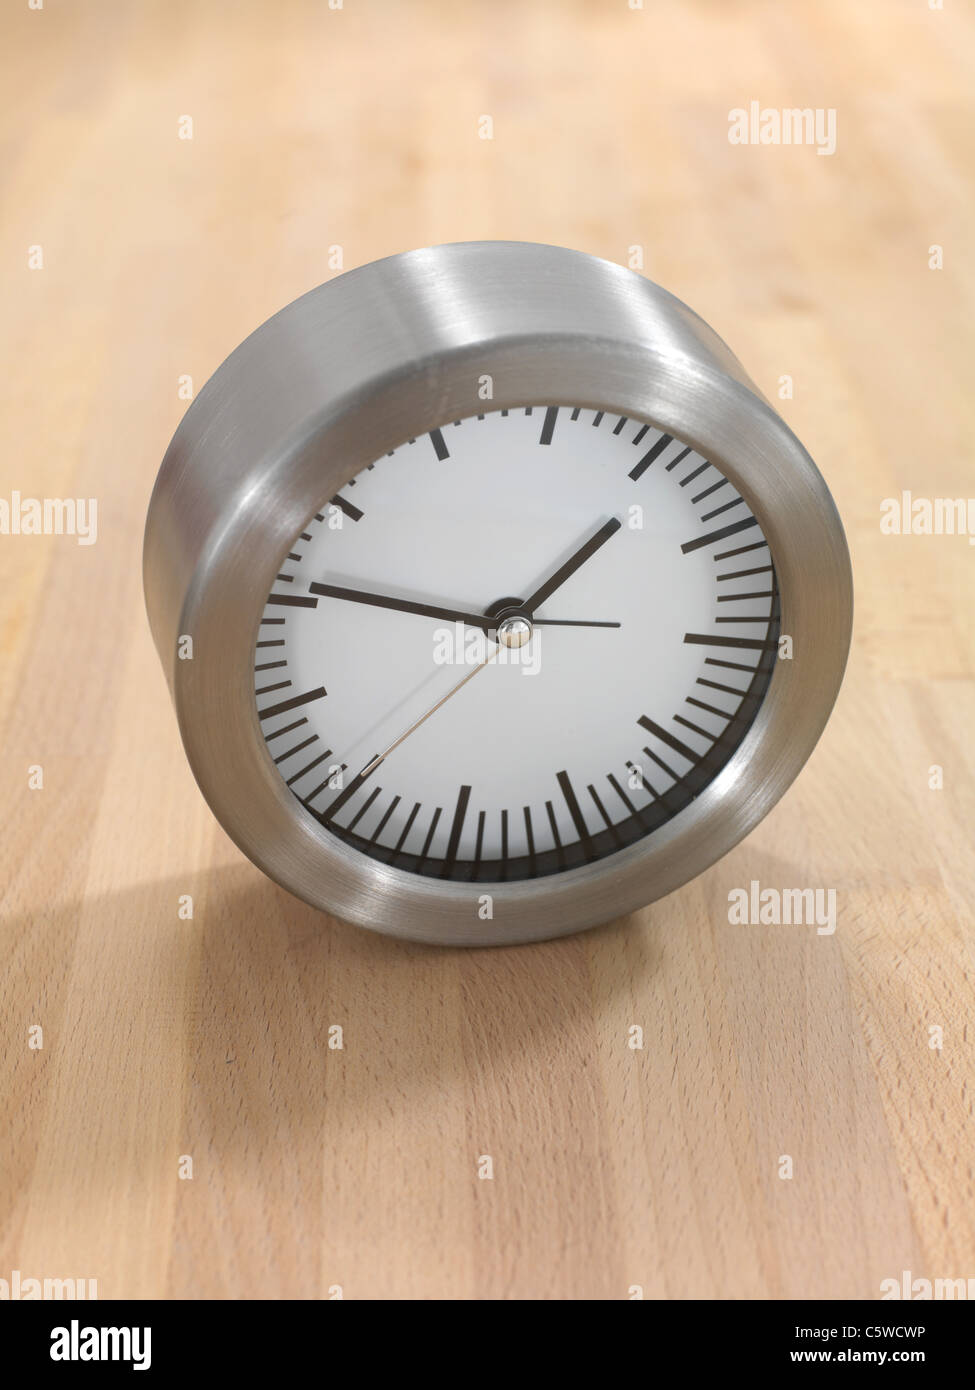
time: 1:46
